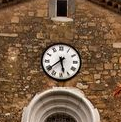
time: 5:38
